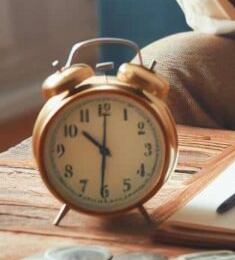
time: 10:30
